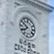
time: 7:50
